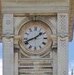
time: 1:41
